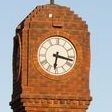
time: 6:17
